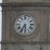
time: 5:35
